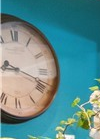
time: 9:18
